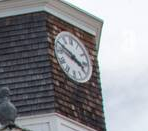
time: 3:48
